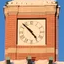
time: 4:52
